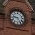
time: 9:25
